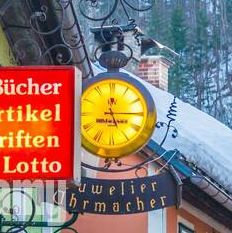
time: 5:14
